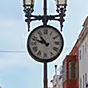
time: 10:47
